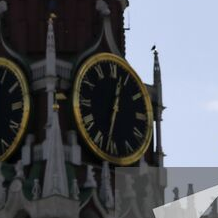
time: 12:32
